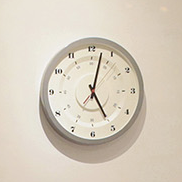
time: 5:02
